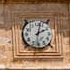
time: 2:02
